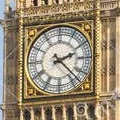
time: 2:22
